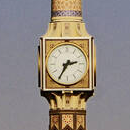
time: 2:35
